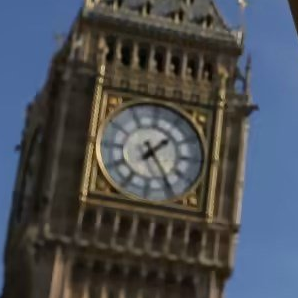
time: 1:24
